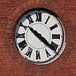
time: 10:21
